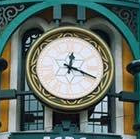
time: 12:18
